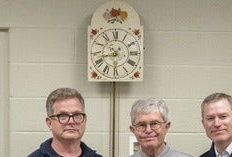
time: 10:42
